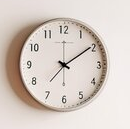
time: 7:09
